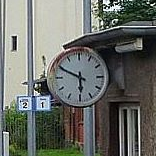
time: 5:49
